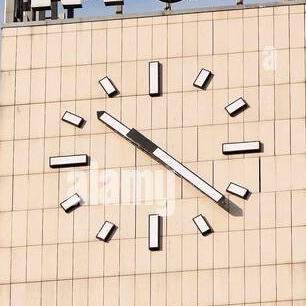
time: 10:21
